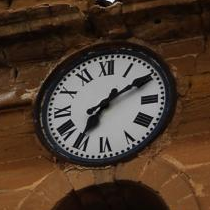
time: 7:09
